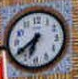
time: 6:39
